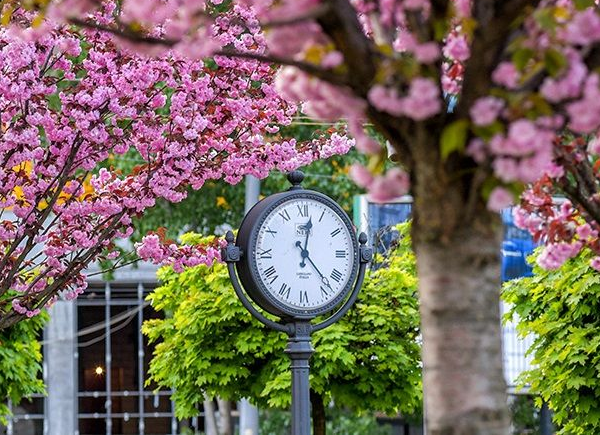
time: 12:23
